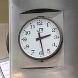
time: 2:28
